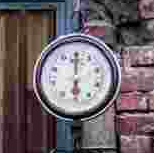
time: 6:00
